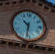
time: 10:31
